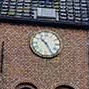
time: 10:24
